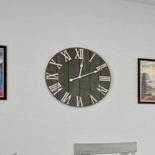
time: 12:11
